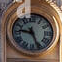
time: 9:26
